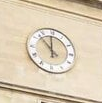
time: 11:52
